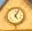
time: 5:04
